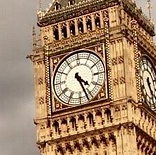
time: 4:26
